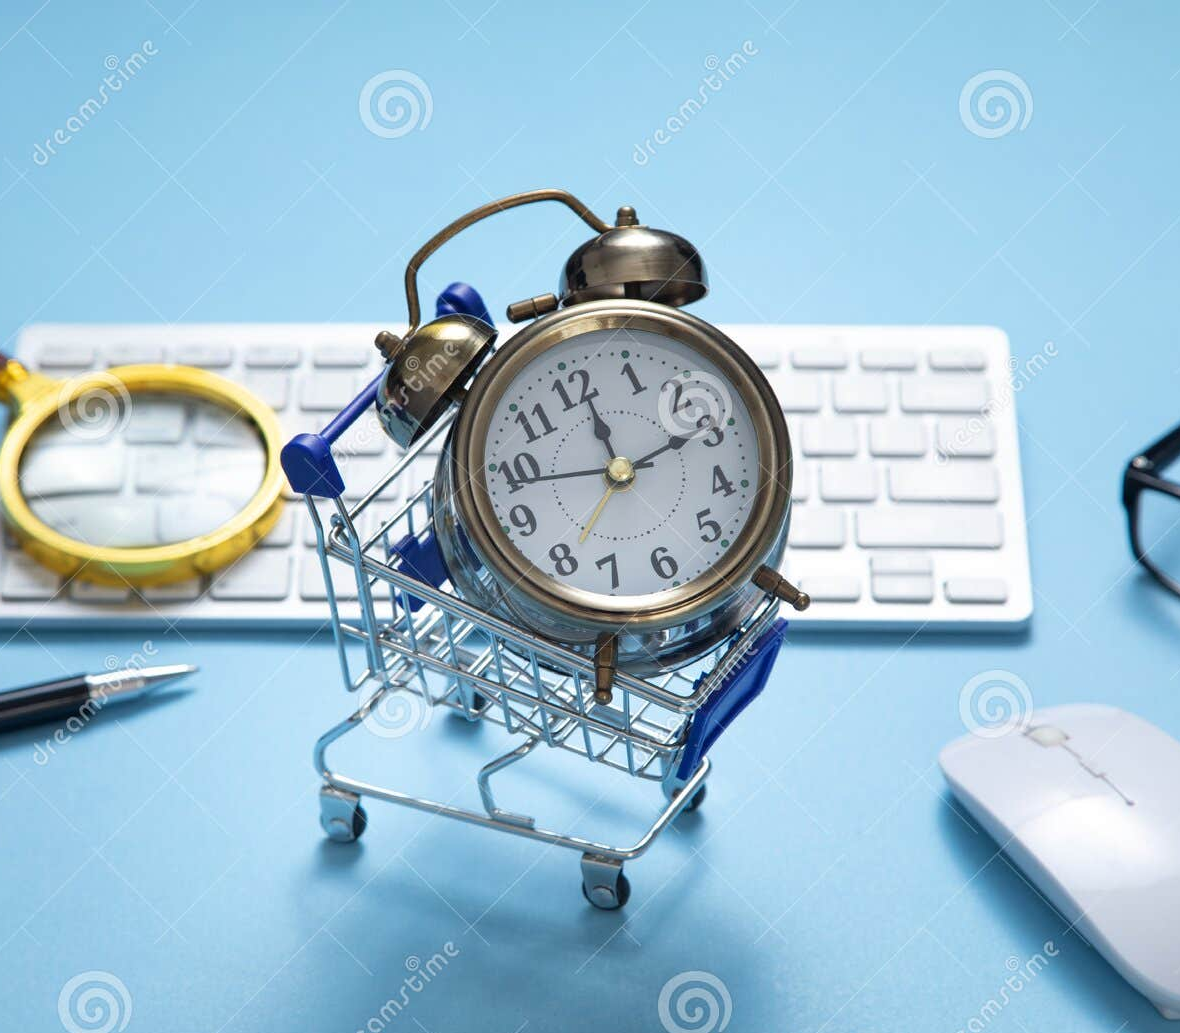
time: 12:14
